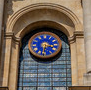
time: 3:31
